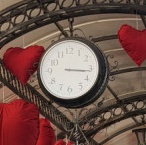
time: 3:16
